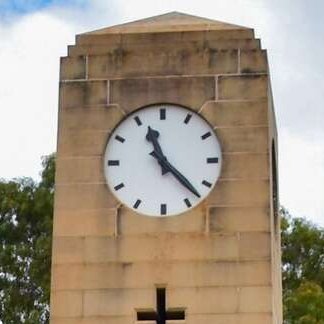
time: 11:22
